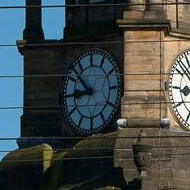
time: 8:52
